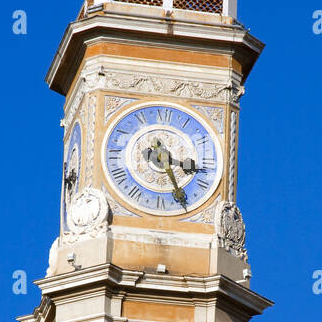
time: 3:25
